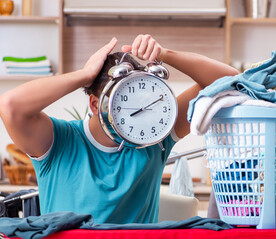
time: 8:10
